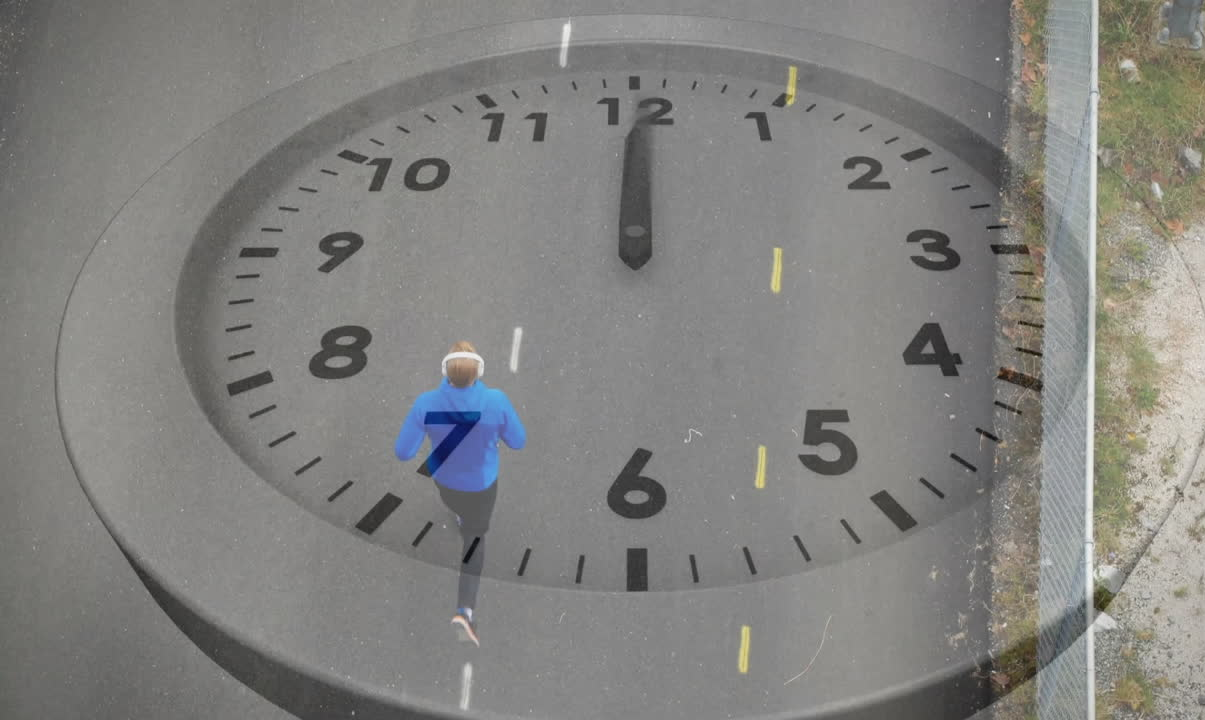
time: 12:00
